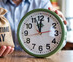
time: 11:56
